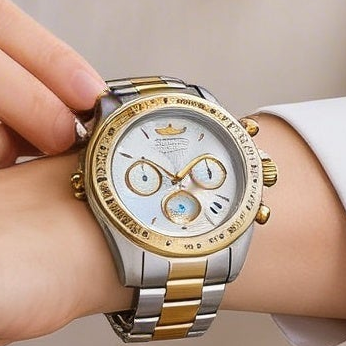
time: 10:07
